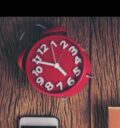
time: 4:49
